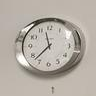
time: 11:37
